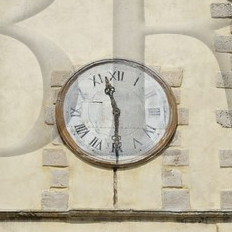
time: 11:29
